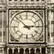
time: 2:52
